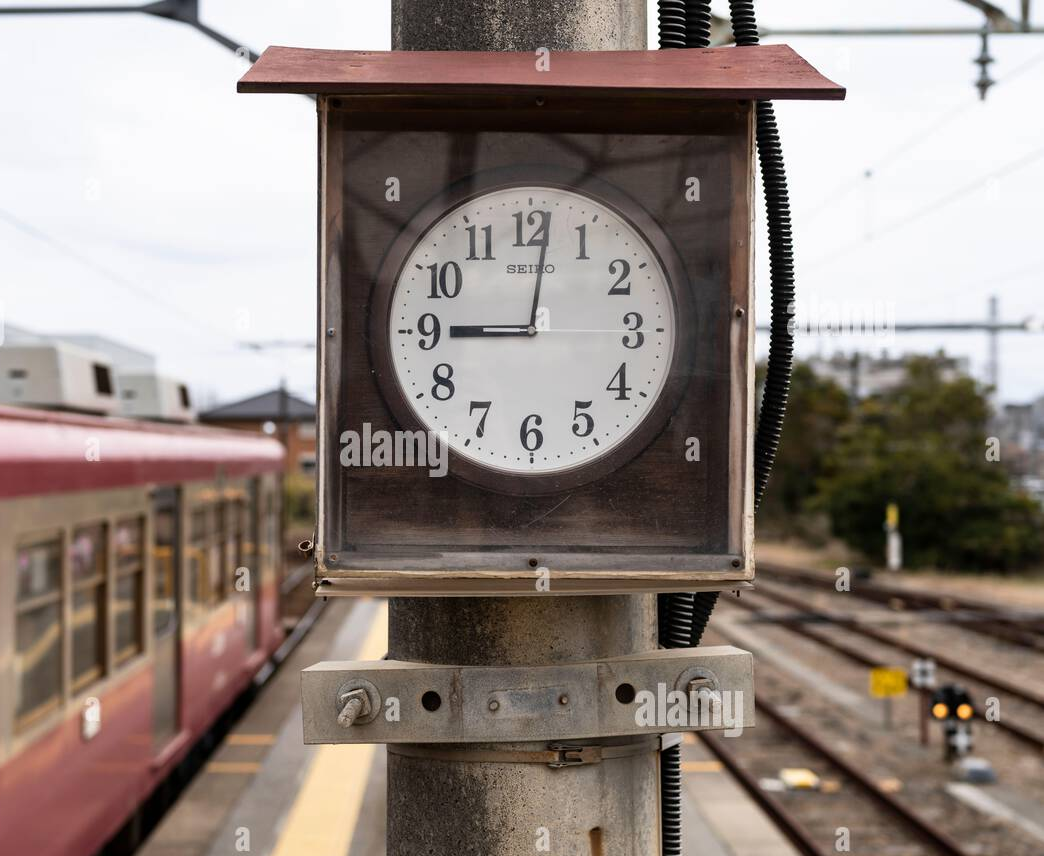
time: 9:01
